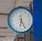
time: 6:25
